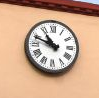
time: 10:48
